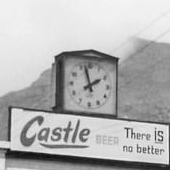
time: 1:57
